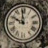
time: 9:59
